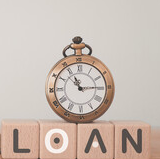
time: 11:14
